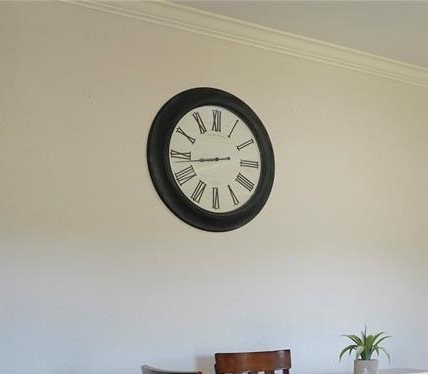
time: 8:43
